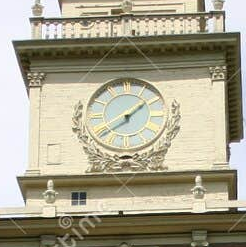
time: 1:39
